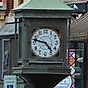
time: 4:47
